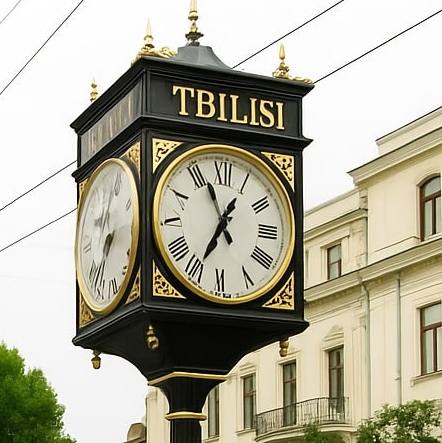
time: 6:56
